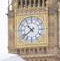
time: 10:38
